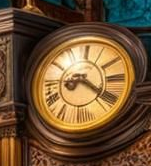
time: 8:19
